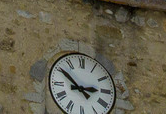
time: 2:50
